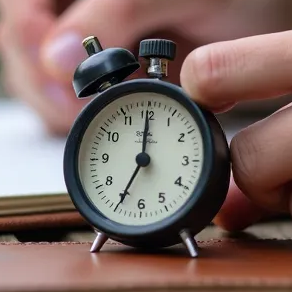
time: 7:00
